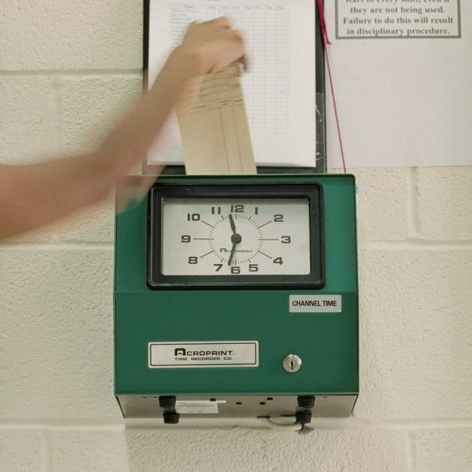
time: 11:32
